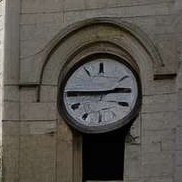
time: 2:45
